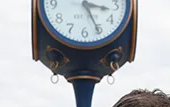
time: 3:25
